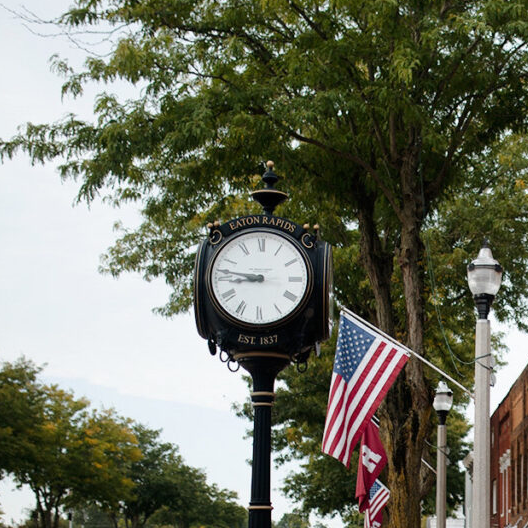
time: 8:46
